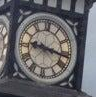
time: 9:16
